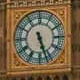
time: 5:26
